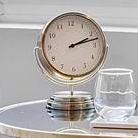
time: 2:12
